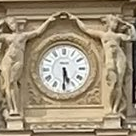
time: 5:30
